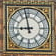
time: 8:57
